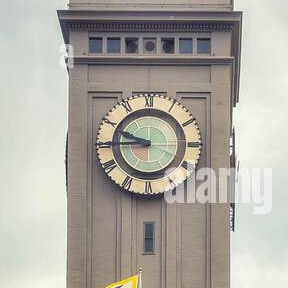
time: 9:44
